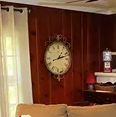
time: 1:12
